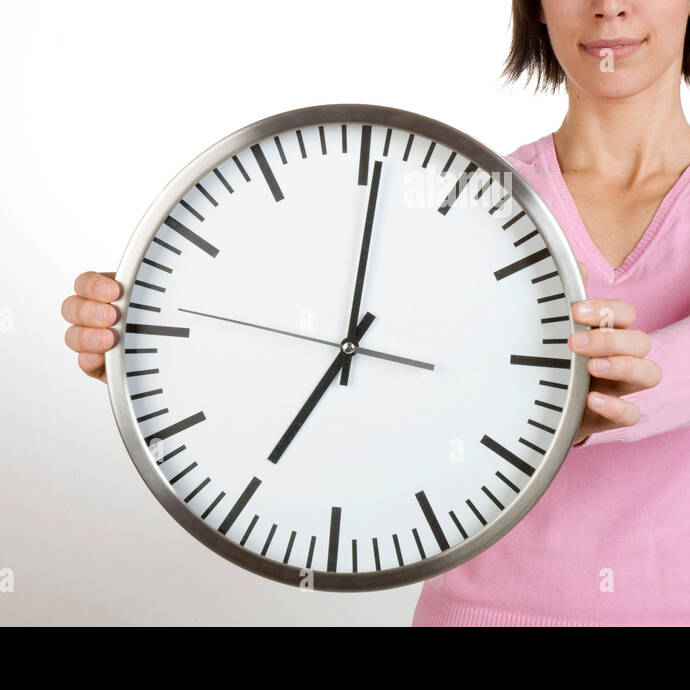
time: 7:00
